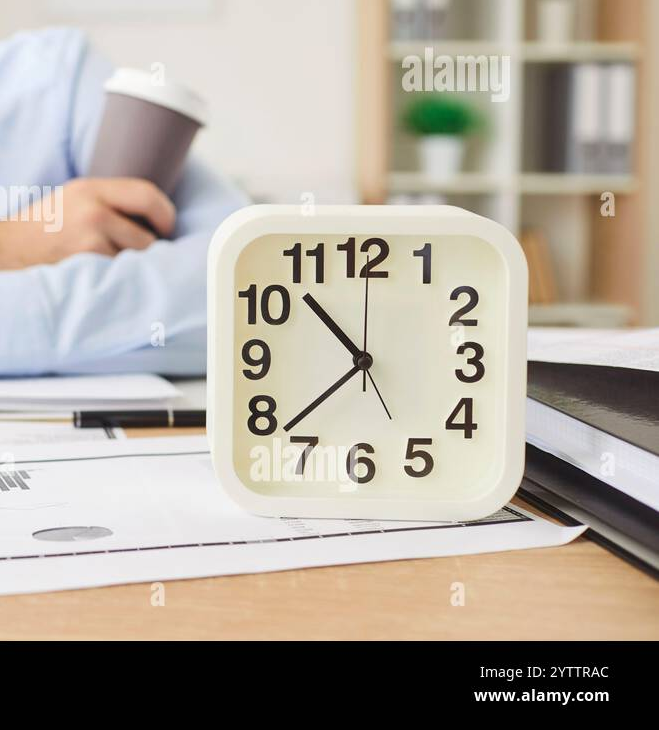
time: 10:37
